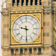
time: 9:29
